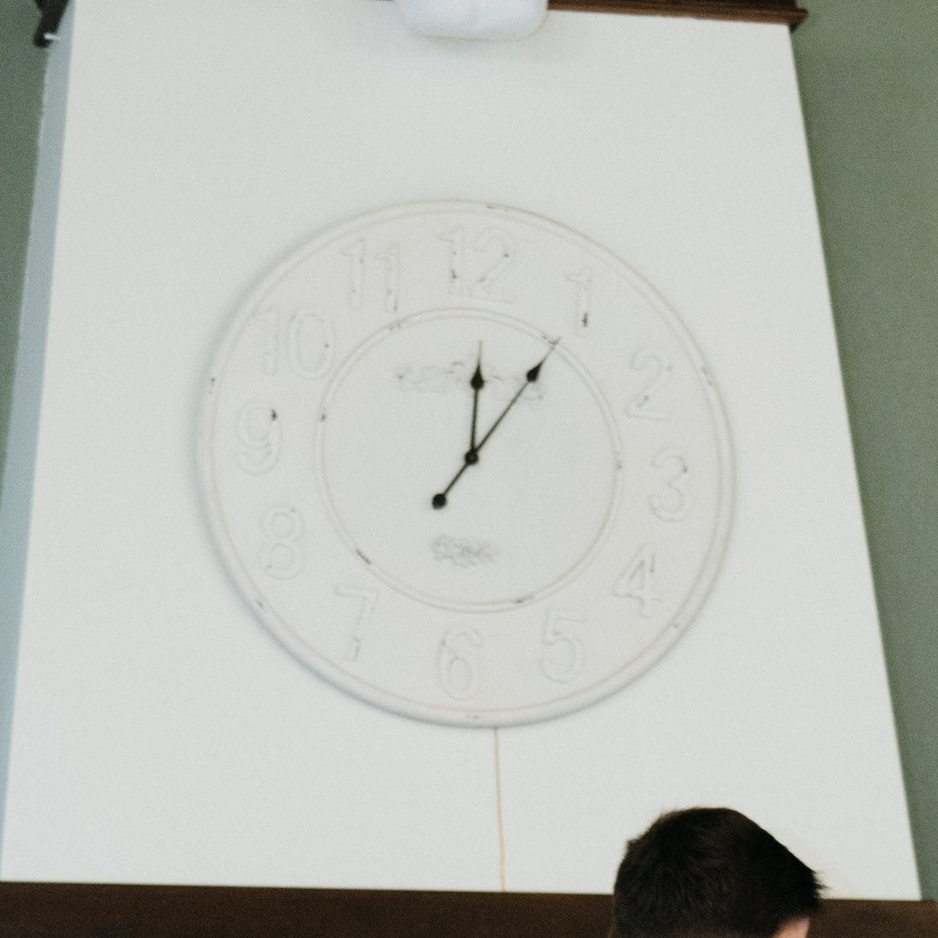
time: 12:05
